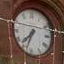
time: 7:33
